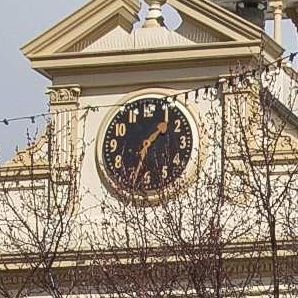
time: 1:33
